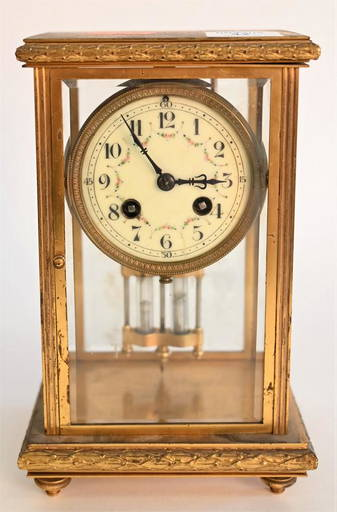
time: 2:54
